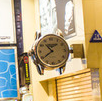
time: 10:39
